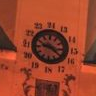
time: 9:21
